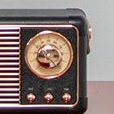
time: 8:23
